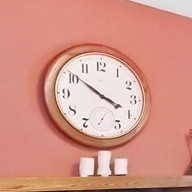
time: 3:50
